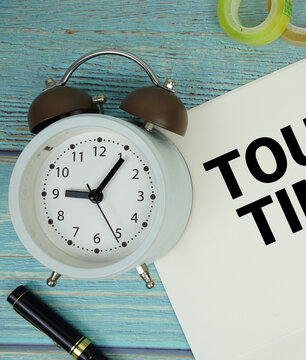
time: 9:05
